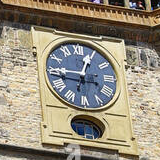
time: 12:46
